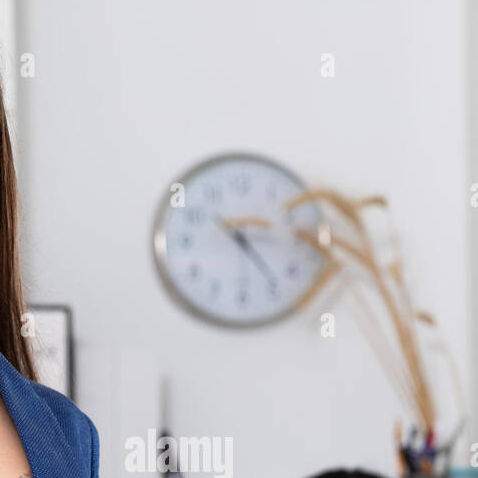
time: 3:24
